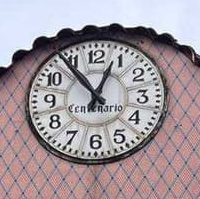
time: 12:53
